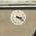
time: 3:21
